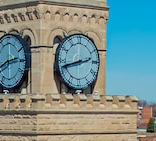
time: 2:42
